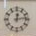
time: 12:13
